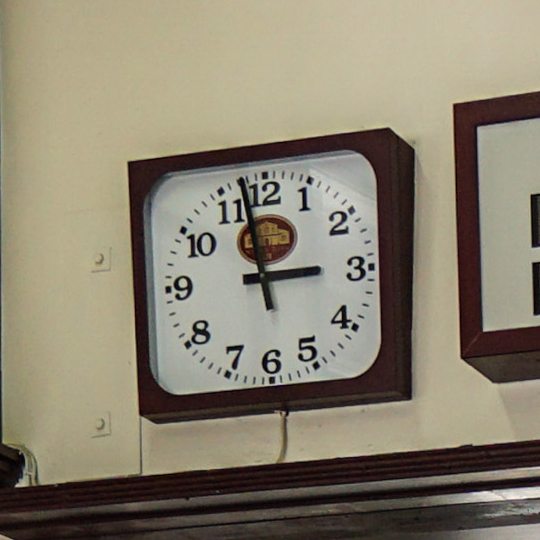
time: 2:57
